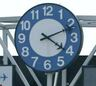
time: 4:11
